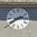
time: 2:40
